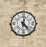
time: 12:23
